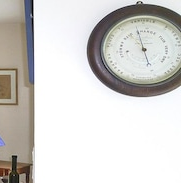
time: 4:55
